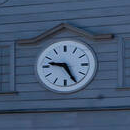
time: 9:25
